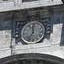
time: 11:35
